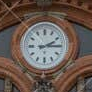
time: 2:15
